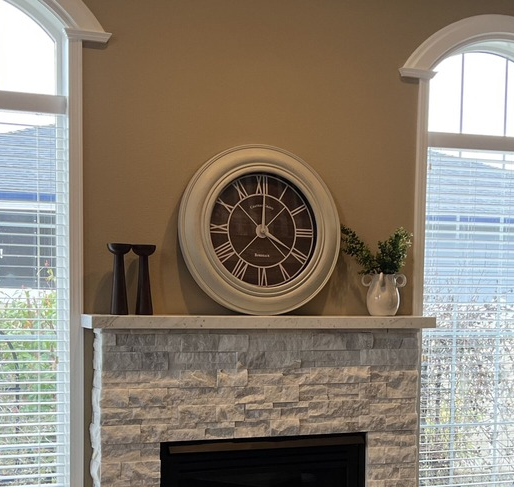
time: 4:00
